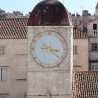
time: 3:21
